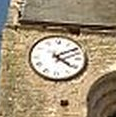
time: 4:09
